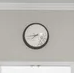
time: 7:43
